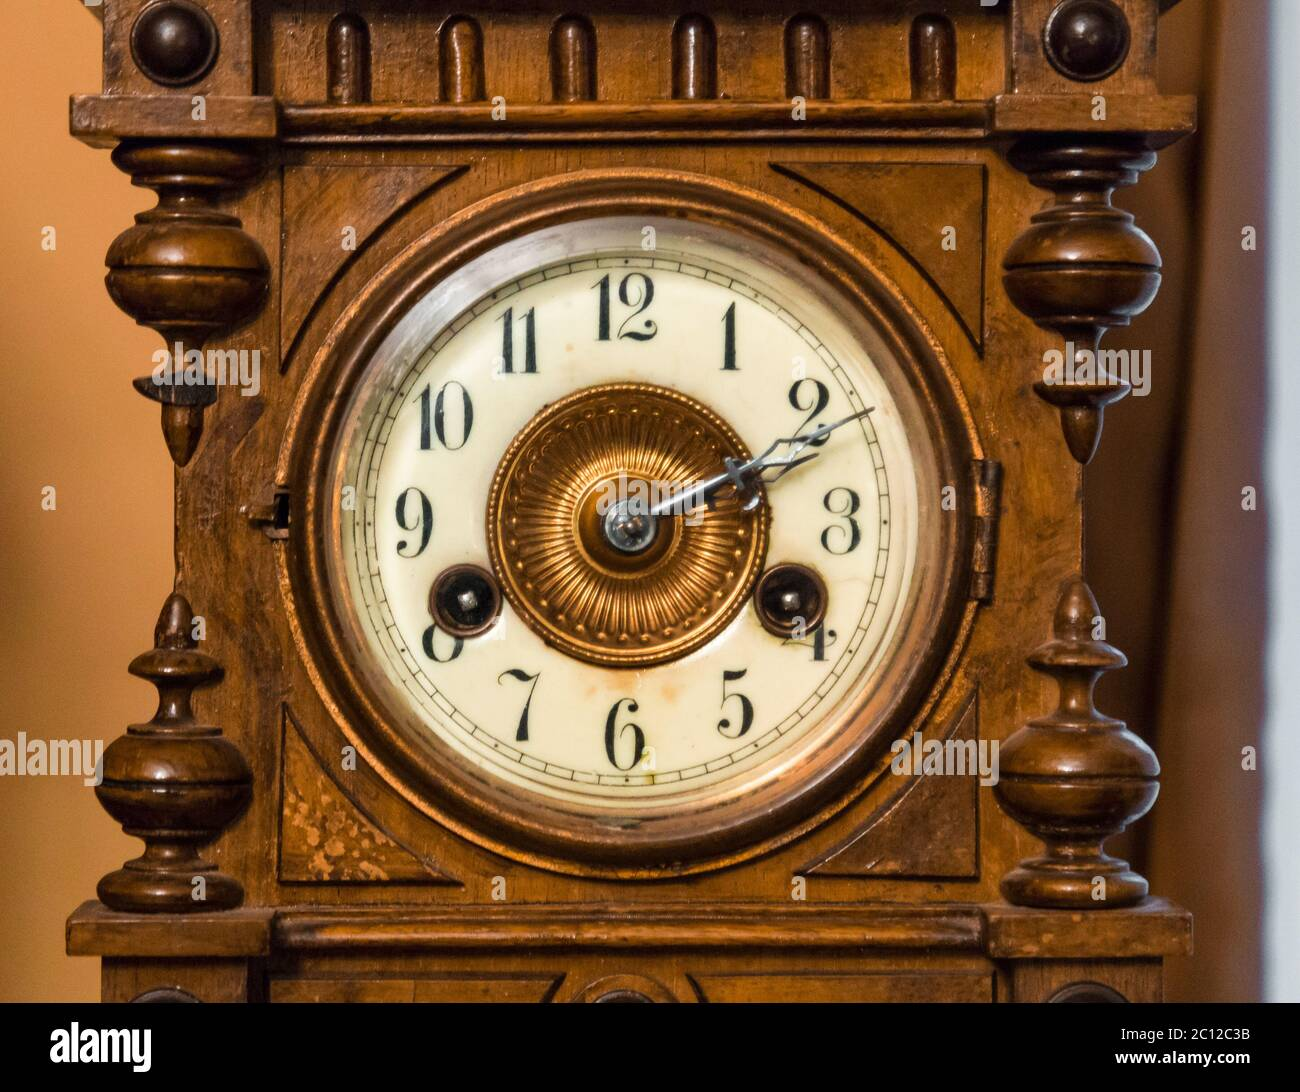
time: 2:11
